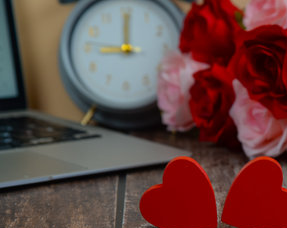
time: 9:00
